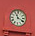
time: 11:19
